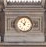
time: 12:52
